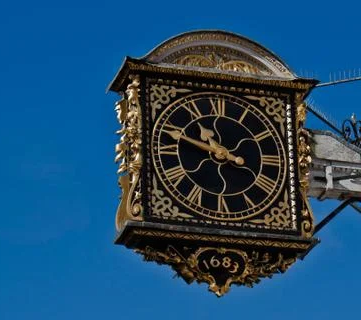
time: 10:48
